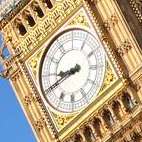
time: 8:40
